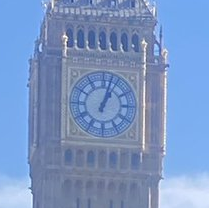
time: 1:02
